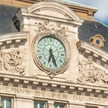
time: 6:26
